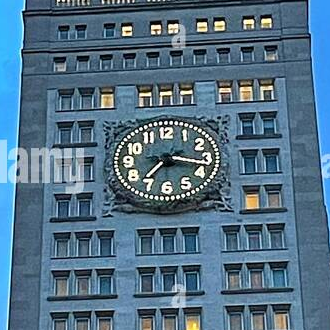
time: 7:17
